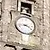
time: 3:43
